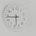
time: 5:44
